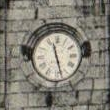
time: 11:27
